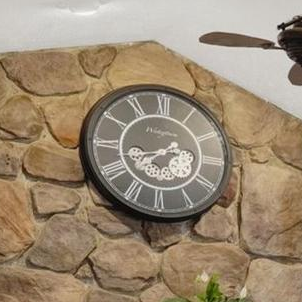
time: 8:38
